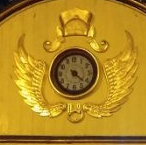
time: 4:21
